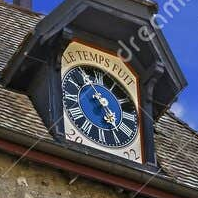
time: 4:54
